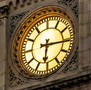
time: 6:15
